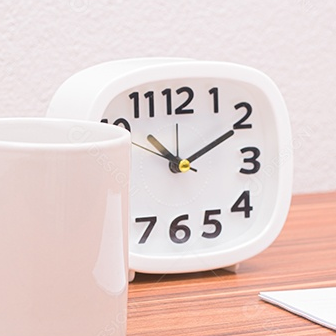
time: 10:10
